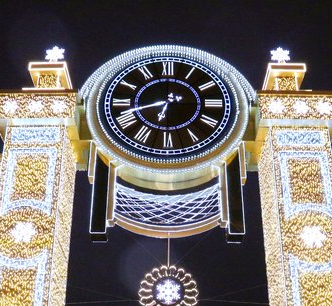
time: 6:41
